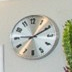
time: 9:10
